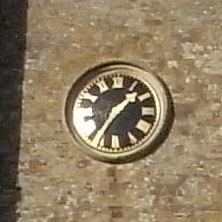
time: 1:35
